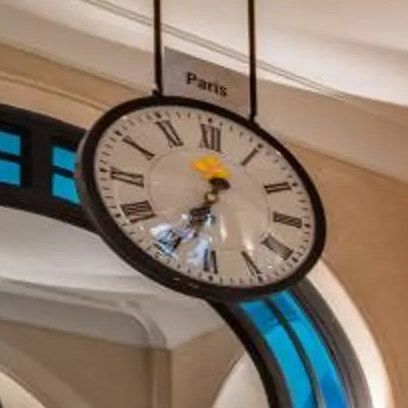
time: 6:33
